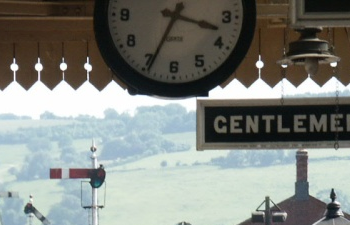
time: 3:34
